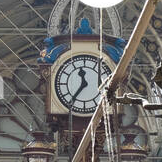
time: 11:35
